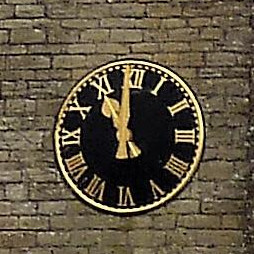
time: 10:59
